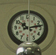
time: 10:12
